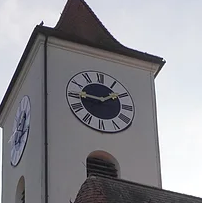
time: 1:46
